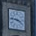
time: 3:46
